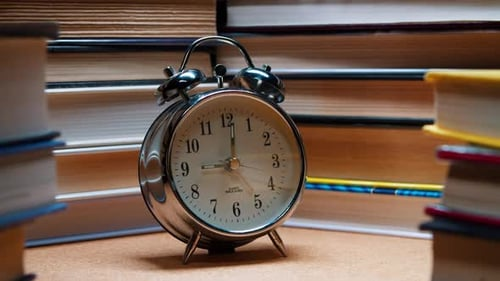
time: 9:01
